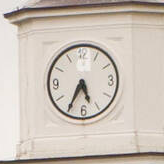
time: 5:35
